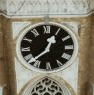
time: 12:38
